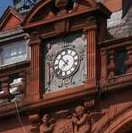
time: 7:52
